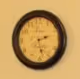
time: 2:27
